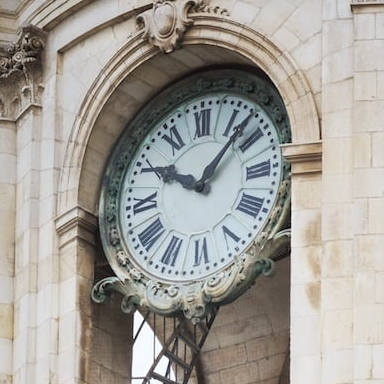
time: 10:07
